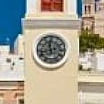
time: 11:42
